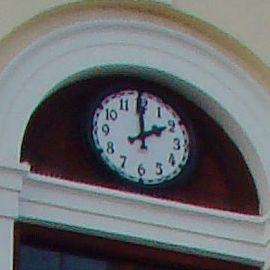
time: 1:59
